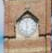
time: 11:32
